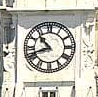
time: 10:41
